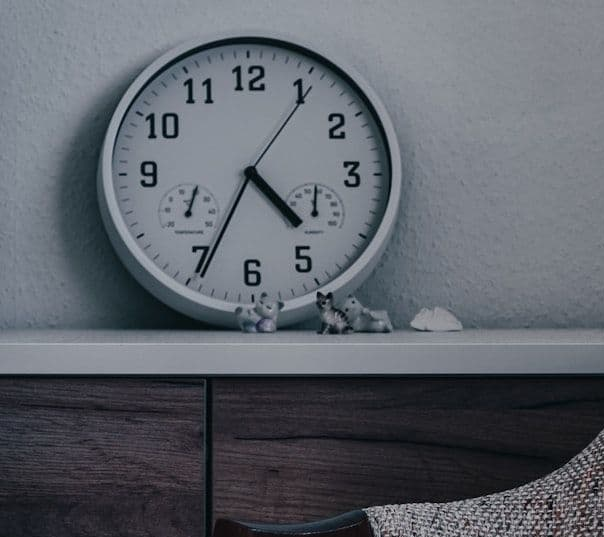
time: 4:34
